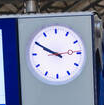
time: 2:49
